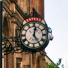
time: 12:24
